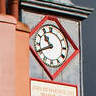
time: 10:41
